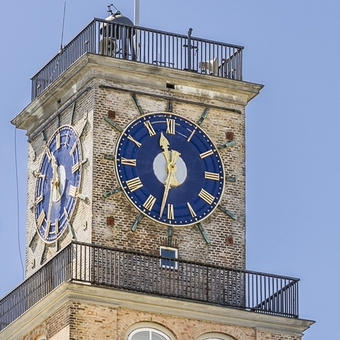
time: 11:32
